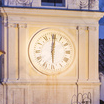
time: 6:00
